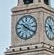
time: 10:20
